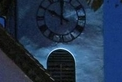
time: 10:00
